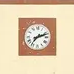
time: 7:11
